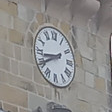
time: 8:40
